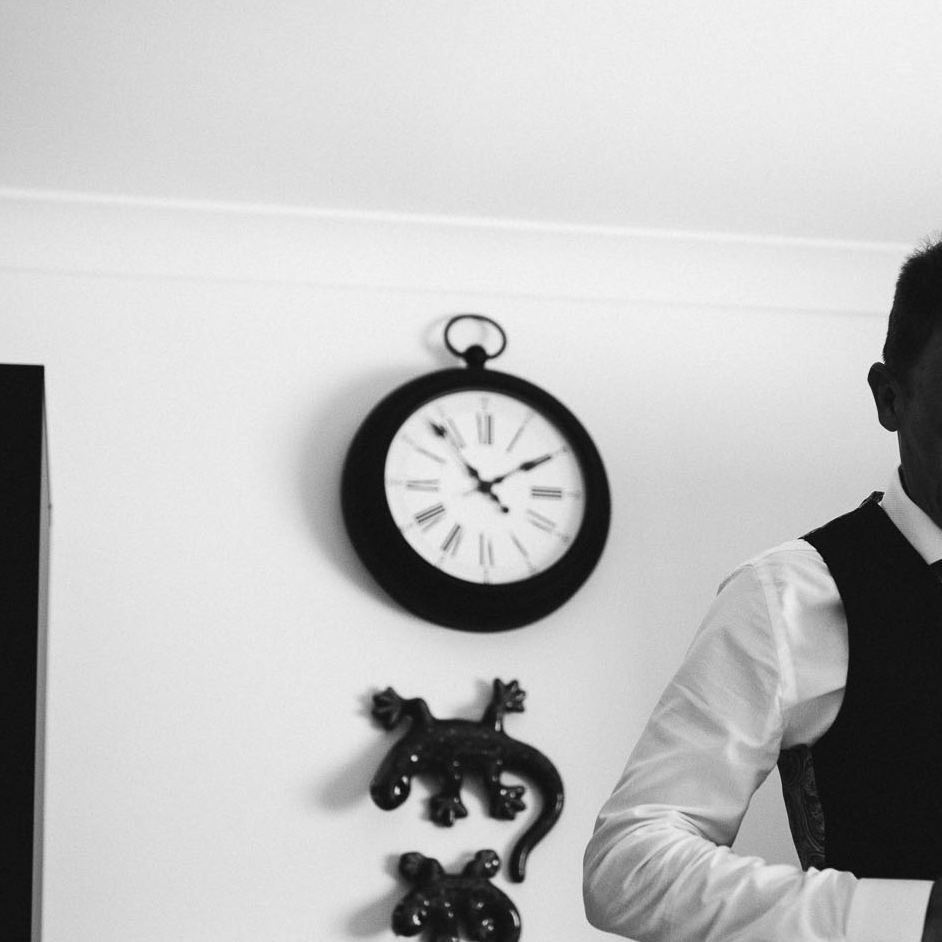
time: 1:53
